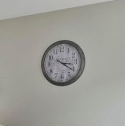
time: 3:20
